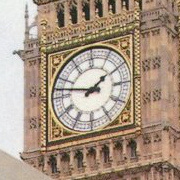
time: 1:47
